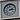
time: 2:14
